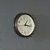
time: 1:16
